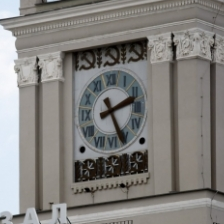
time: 2:25
